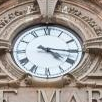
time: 4:15
